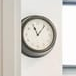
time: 11:06
